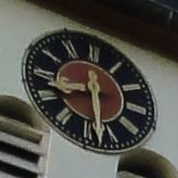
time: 8:28
